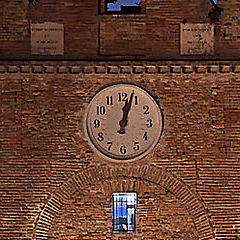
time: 12:02
